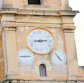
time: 2:44
